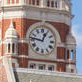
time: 12:46
